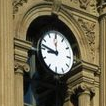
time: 8:46
